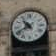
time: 10:41
